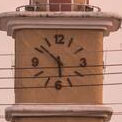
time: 5:52
